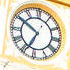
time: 6:50
